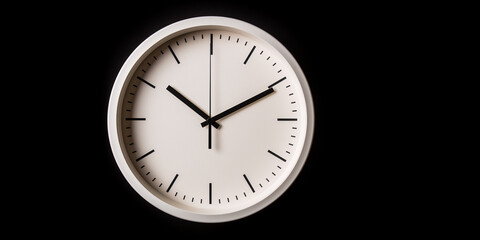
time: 10:10
